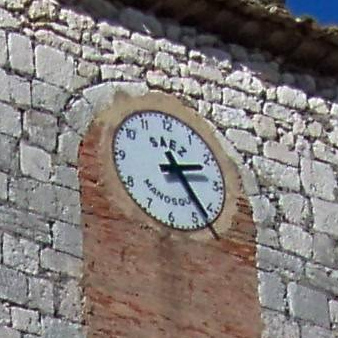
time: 2:23
